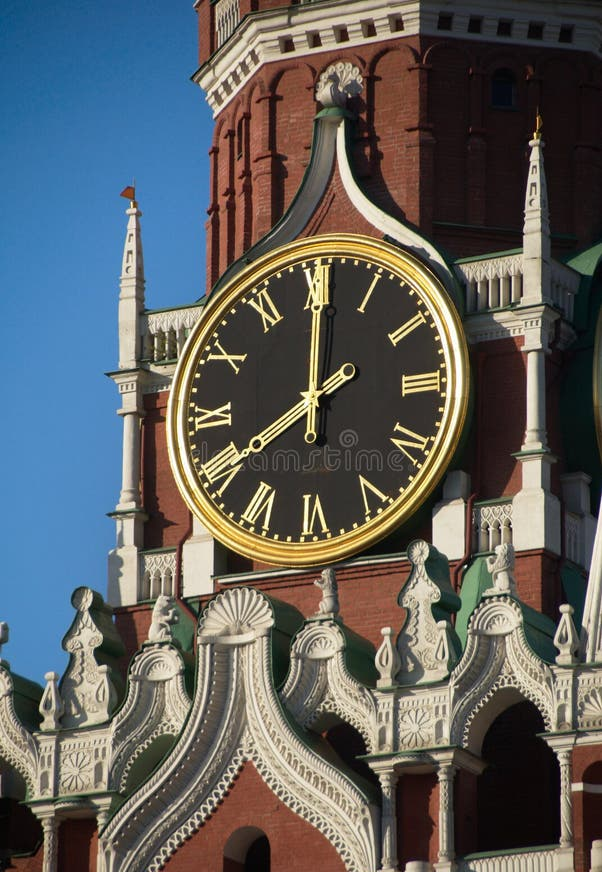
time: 8:00
